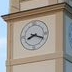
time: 8:18
